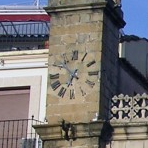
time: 6:52
